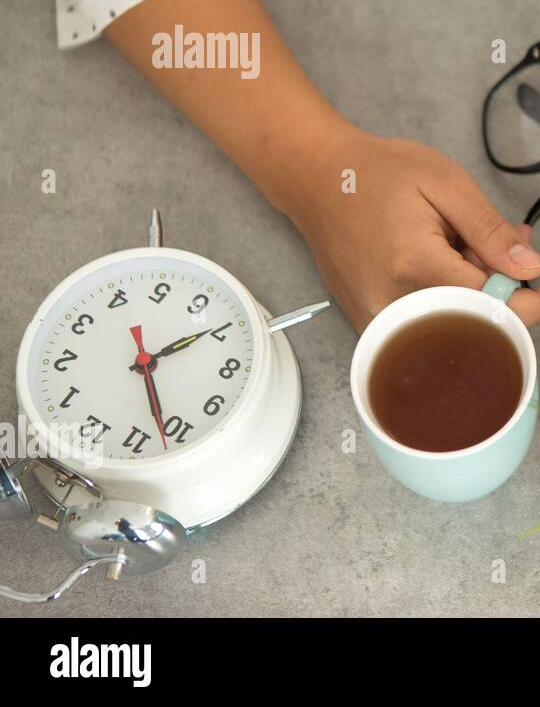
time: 5:09
